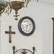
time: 6:11
